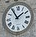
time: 1:54
